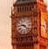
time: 9:22
